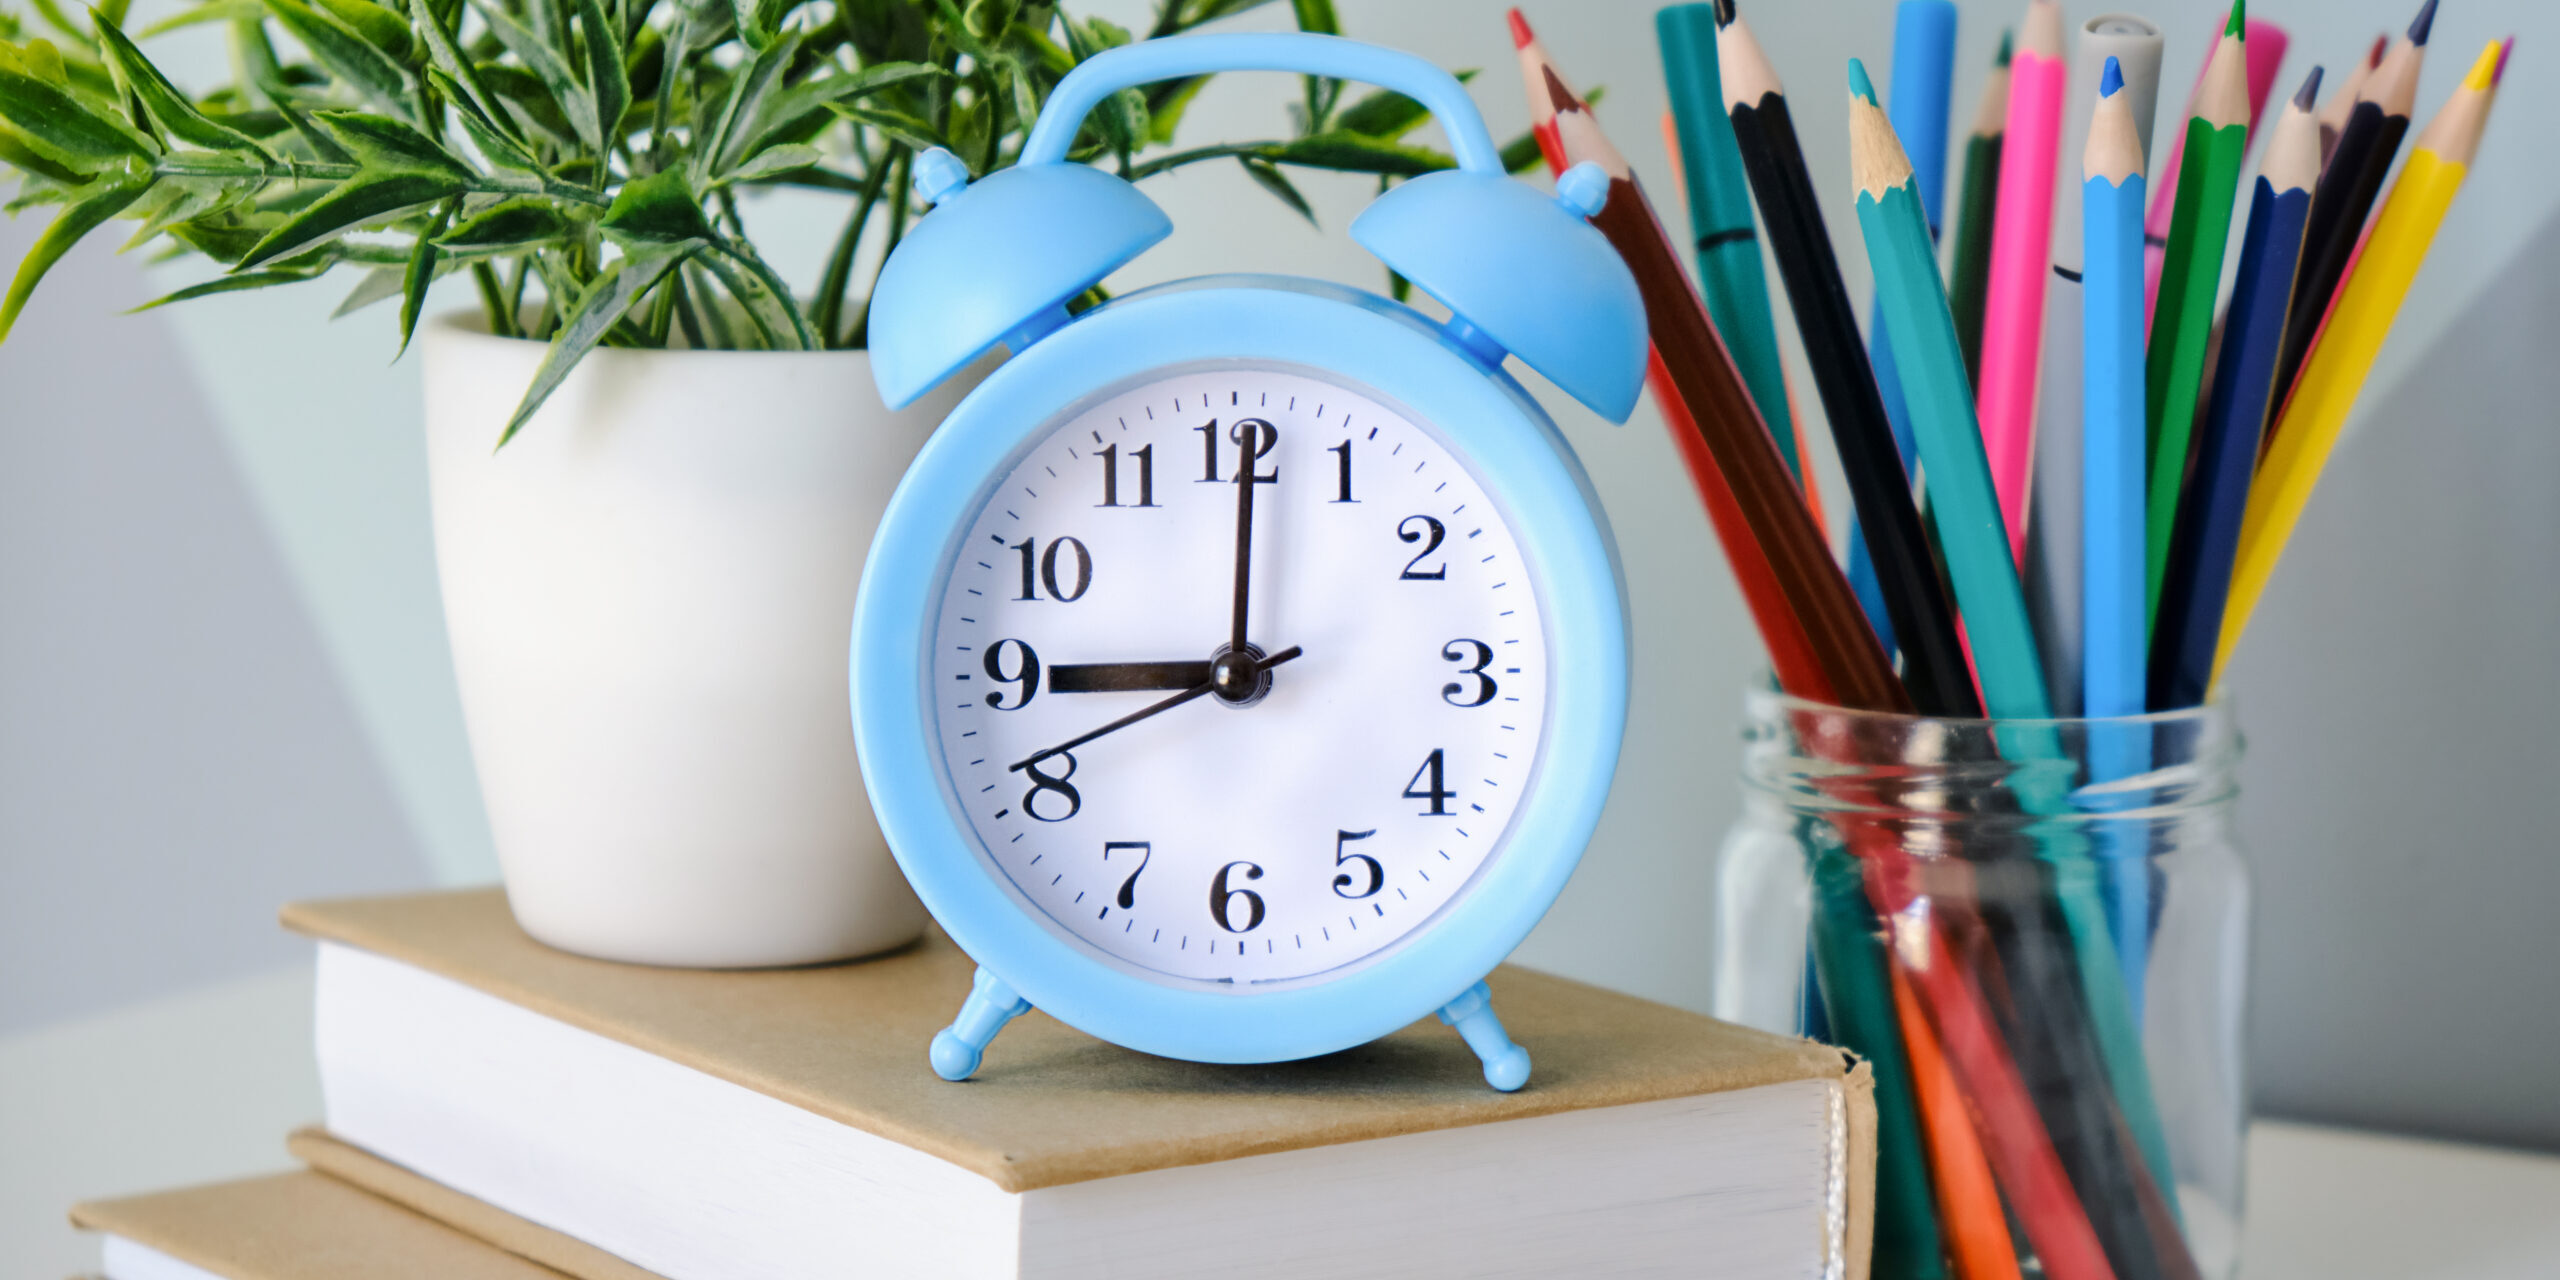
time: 9:00
